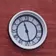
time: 11:28
